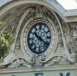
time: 10:21
